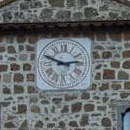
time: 2:48
